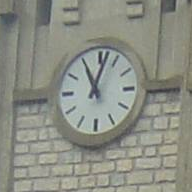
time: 11:02
